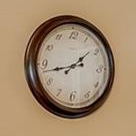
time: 1:42
